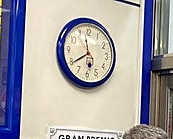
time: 11:39
